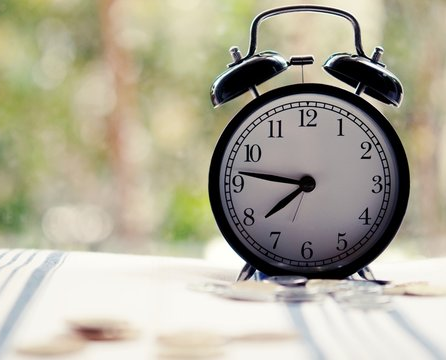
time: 7:46
